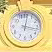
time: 12:16
